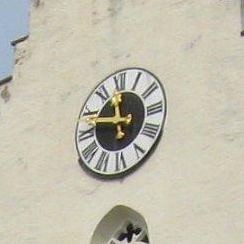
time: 11:47
